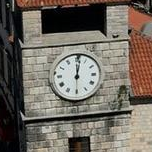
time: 12:01
